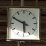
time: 5:49
